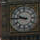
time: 9:44
